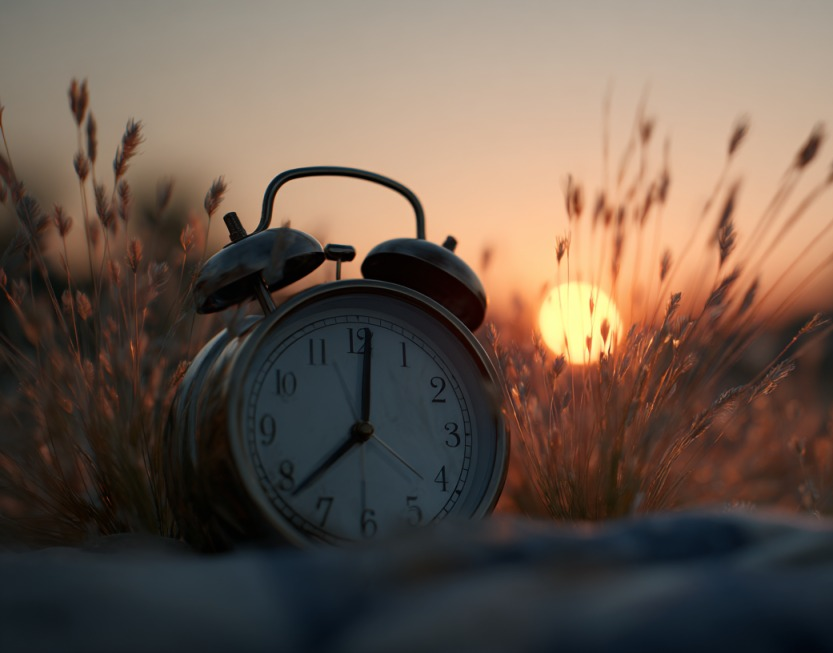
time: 8:01
